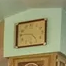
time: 4:46
